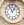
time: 12:55
